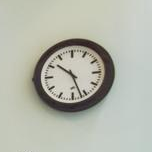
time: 10:26
